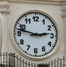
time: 2:47
